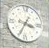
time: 3:34
